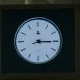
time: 8:15
